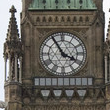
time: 3:54
